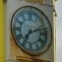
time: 7:11
